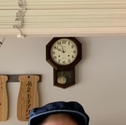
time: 9:57
